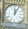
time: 12:04
